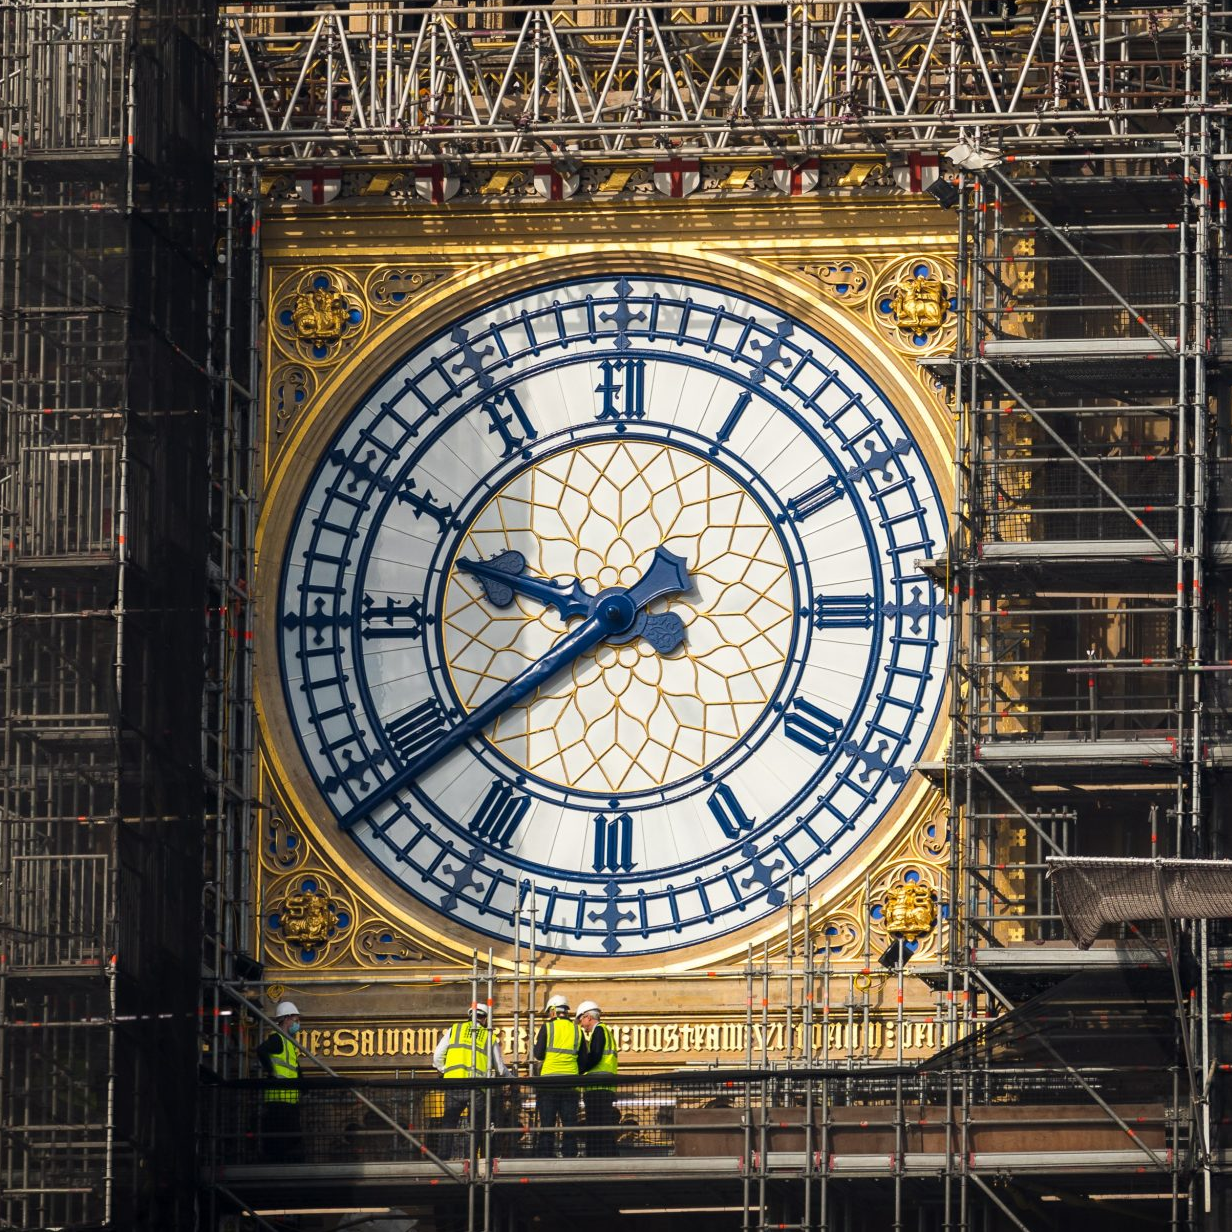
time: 9:38
